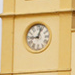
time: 9:03
